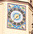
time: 1:37
